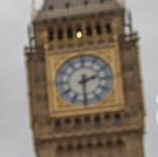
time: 2:30
